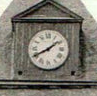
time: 1:40
